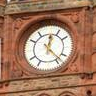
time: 12:23
